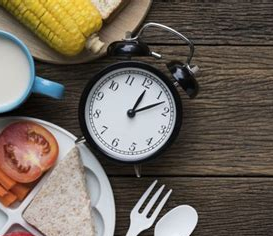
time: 1:12
